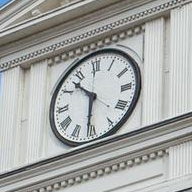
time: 10:31
